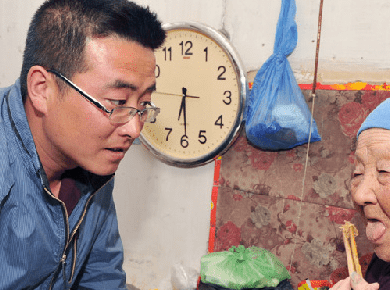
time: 6:29
